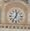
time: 12:36
